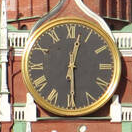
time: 12:29
